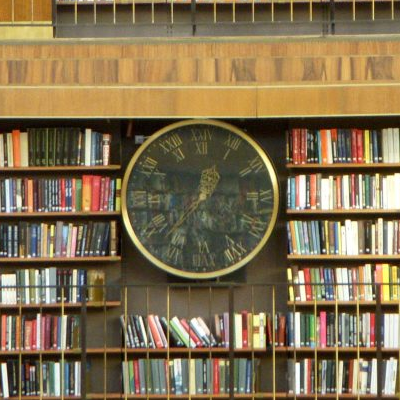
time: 12:37
